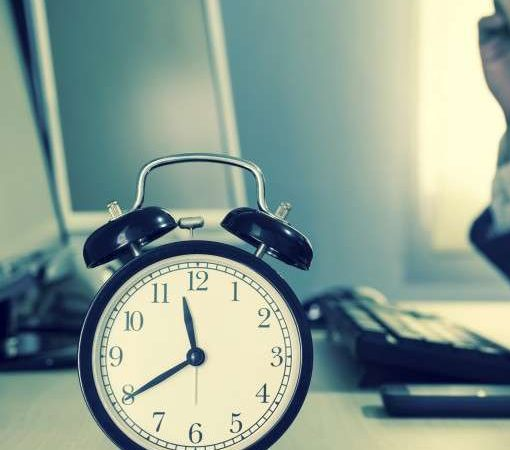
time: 11:39
